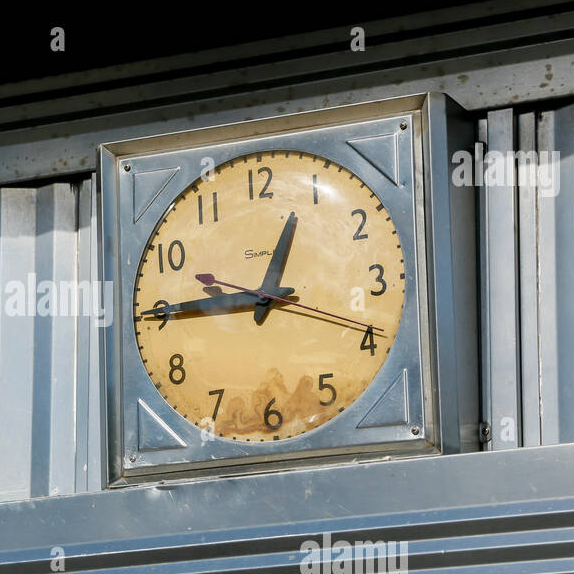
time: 12:45
